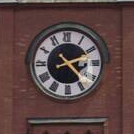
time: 2:23
